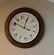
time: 12:50
